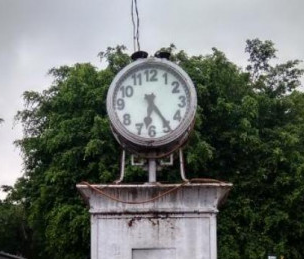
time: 6:24
